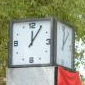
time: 12:05
